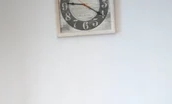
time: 9:20
